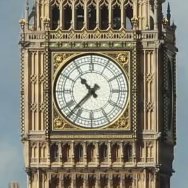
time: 10:37
